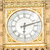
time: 6:12
